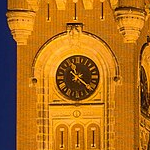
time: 11:21
